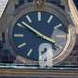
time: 3:51
